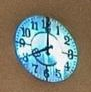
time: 8:00
